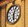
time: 6:03
